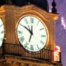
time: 11:50
